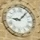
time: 9:07
